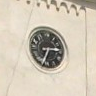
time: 2:34
